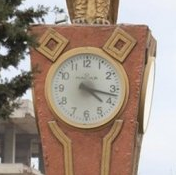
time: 4:17
